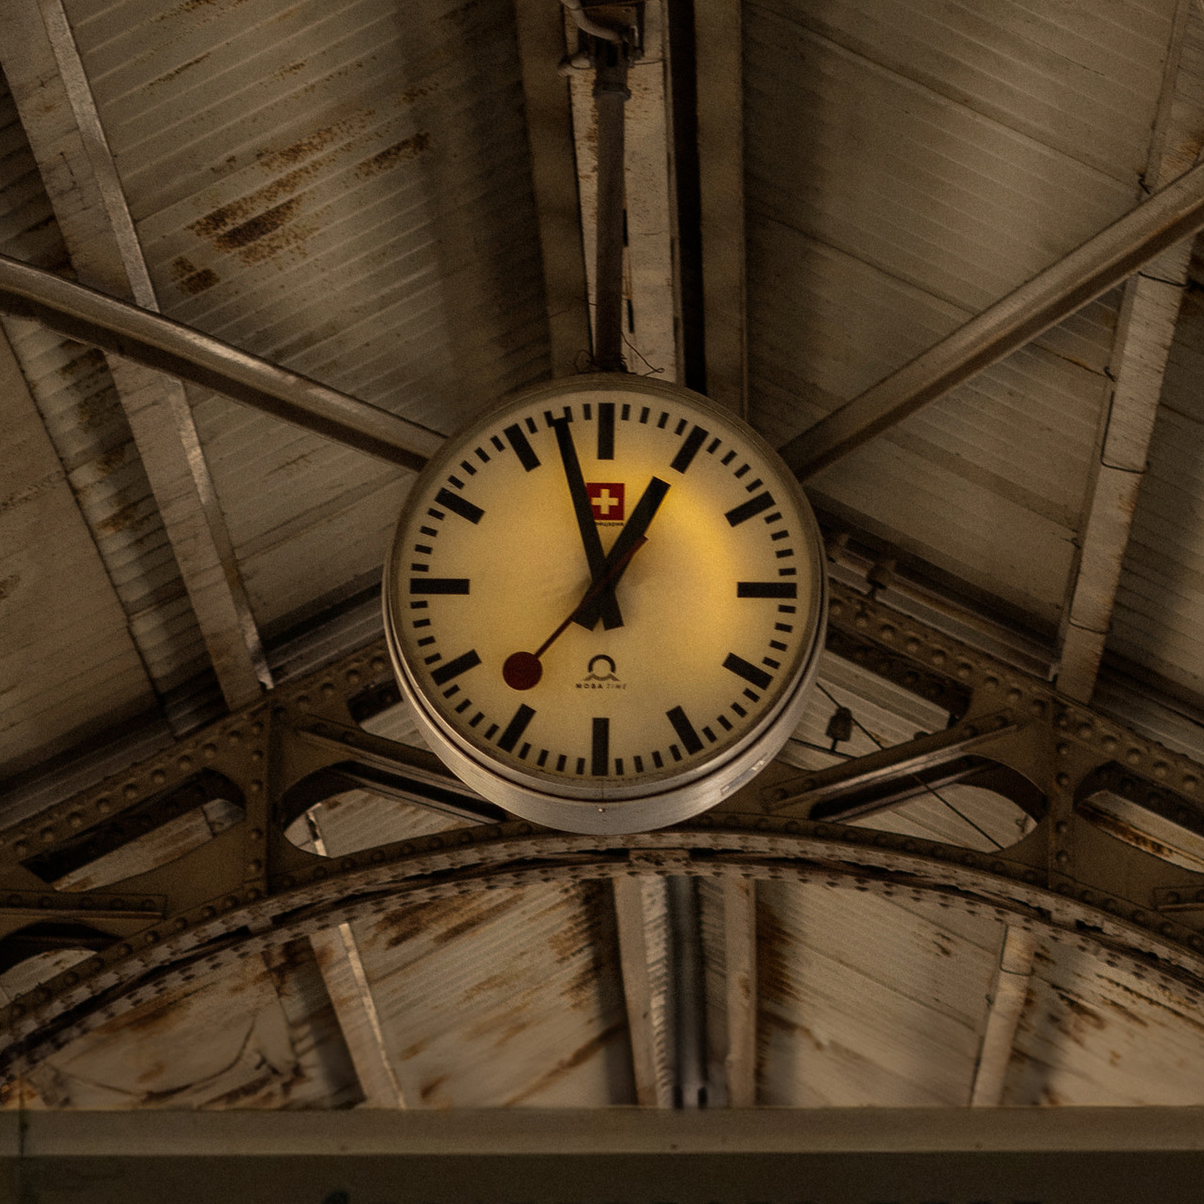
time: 12:57
